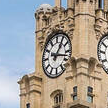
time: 1:17
